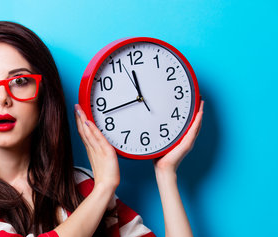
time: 11:42
